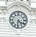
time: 4:31
